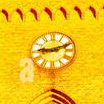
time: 9:11
